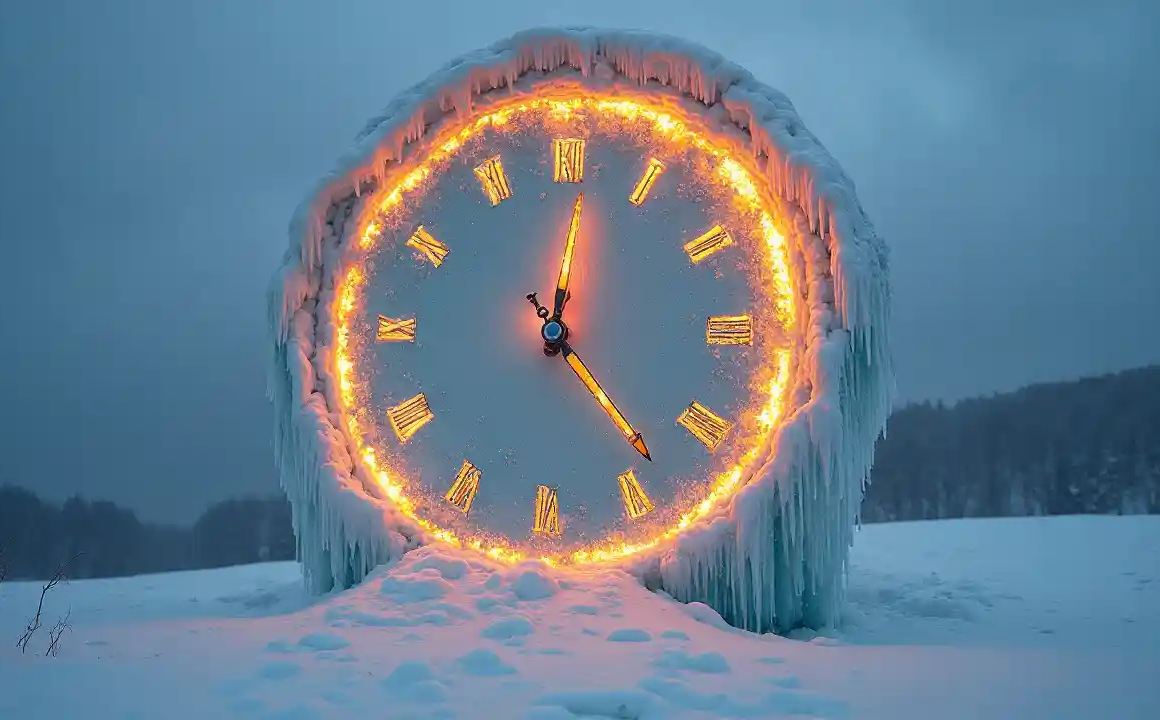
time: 12:23
